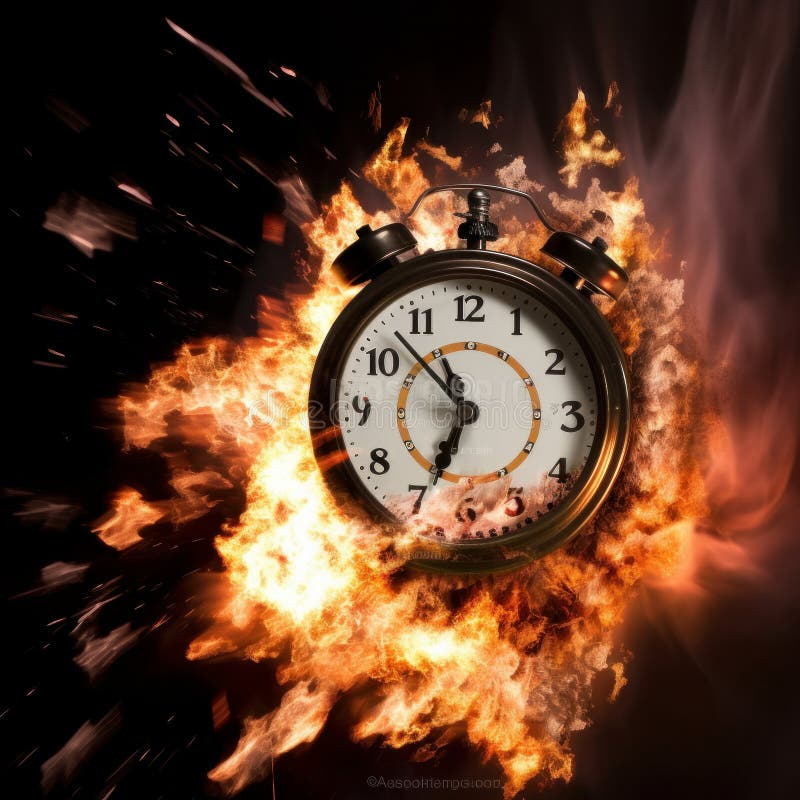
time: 6:52
